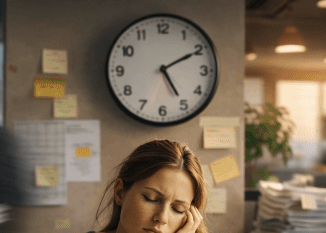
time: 5:10
